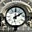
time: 1:59
